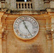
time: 11:25
